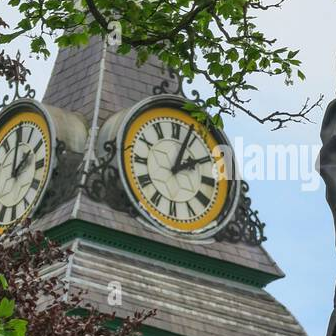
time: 2:03
